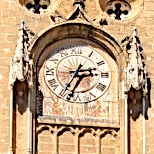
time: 2:34
